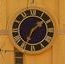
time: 1:34
